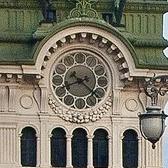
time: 8:21
